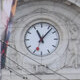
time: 11:07
